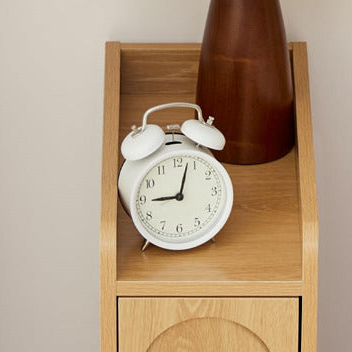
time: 9:02
